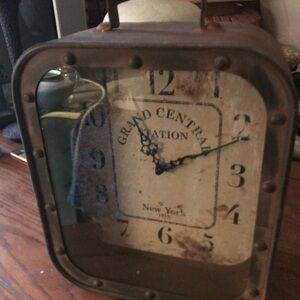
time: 11:11
